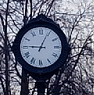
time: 9:04
